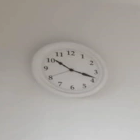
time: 10:18
